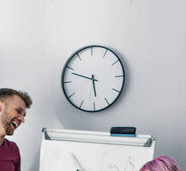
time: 5:48
